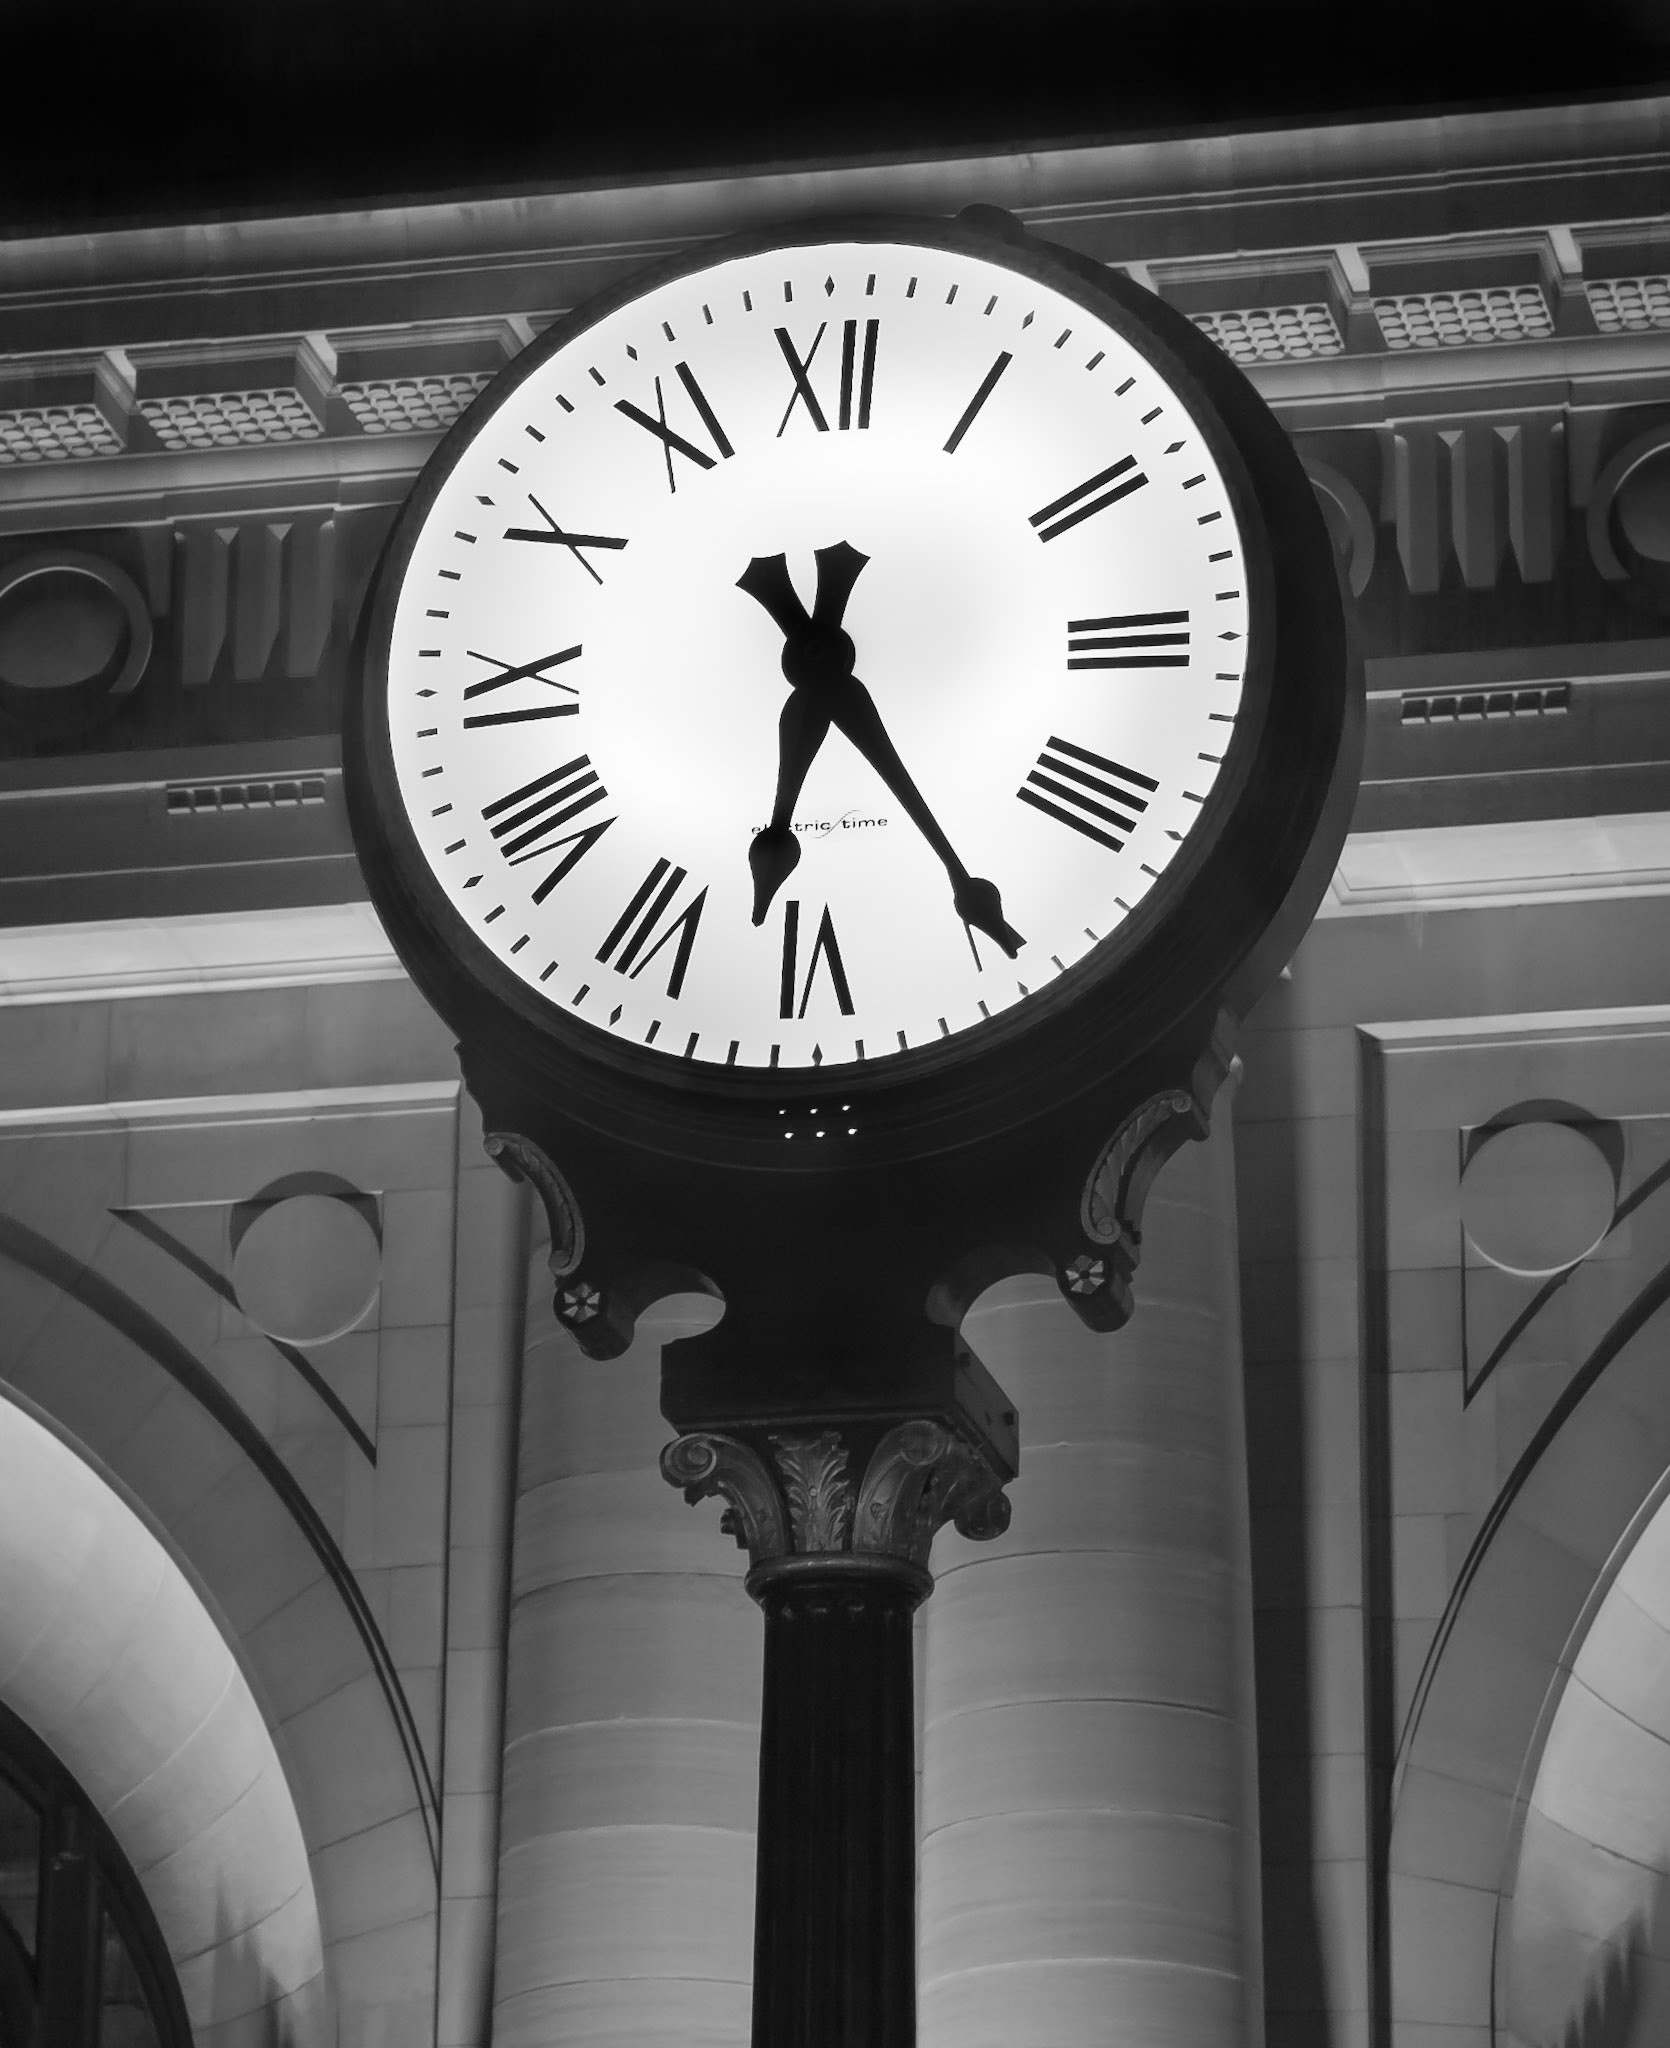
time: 6:24
